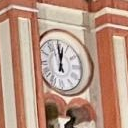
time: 12:02
